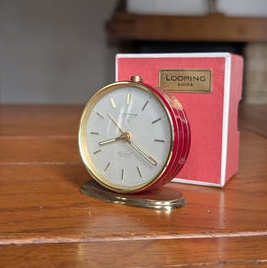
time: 8:20
